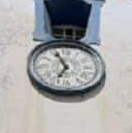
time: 6:56
